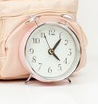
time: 1:22
